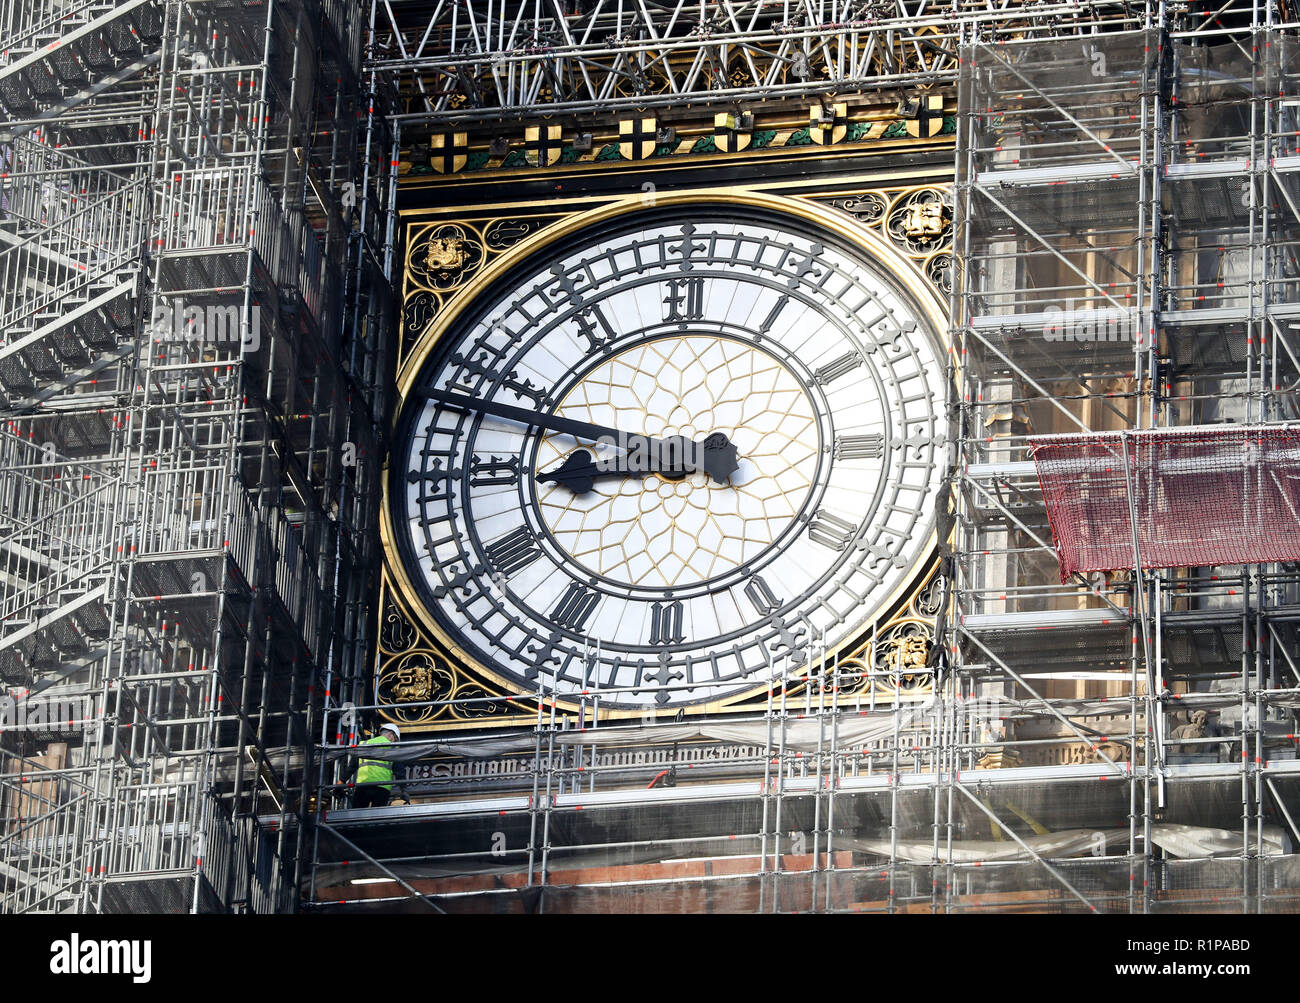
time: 8:47
